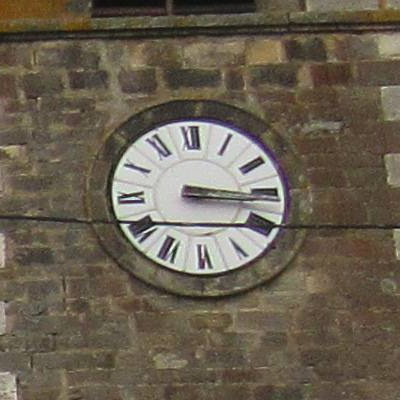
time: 3:16
